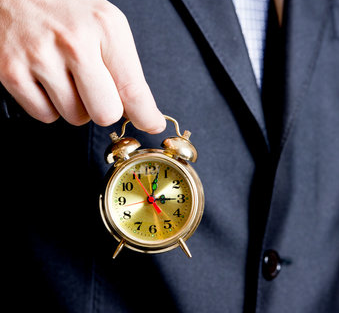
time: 3:02
